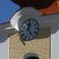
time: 12:24
